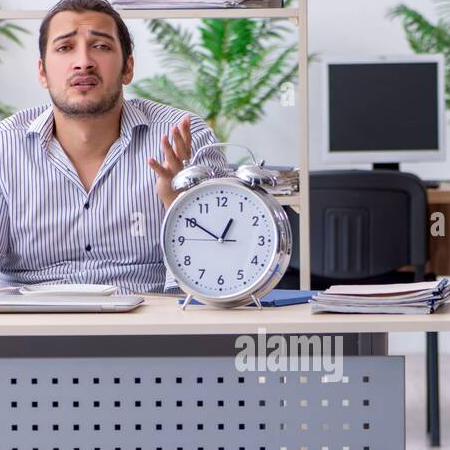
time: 12:50
